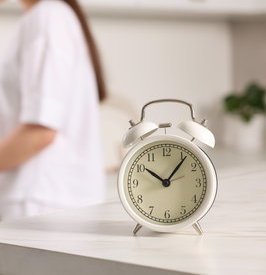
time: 10:06
